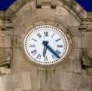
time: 6:22
